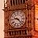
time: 9:22
